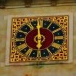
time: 5:59
